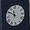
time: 11:50
